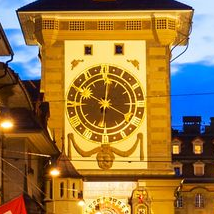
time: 10:01
